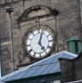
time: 5:03
